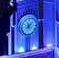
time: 8:07
